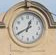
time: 12:40
